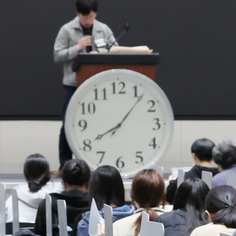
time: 8:06
